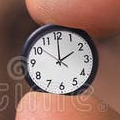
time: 1:59
